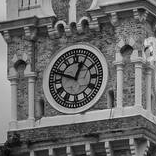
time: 12:48
